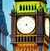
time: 5:09
